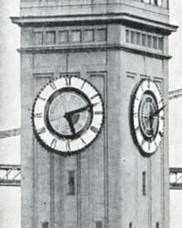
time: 5:12
